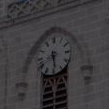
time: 5:40
